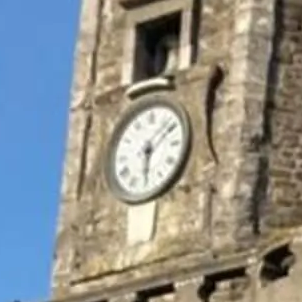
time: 6:08
